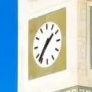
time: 1:36
